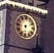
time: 6:10
